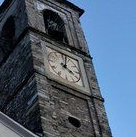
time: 4:01
